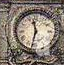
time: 11:32
